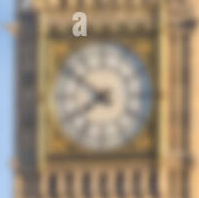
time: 7:51
